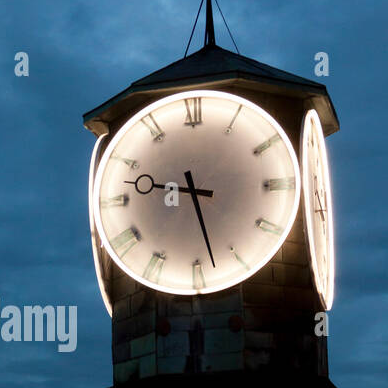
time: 9:27
